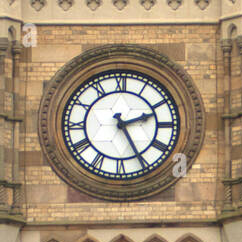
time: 2:25
